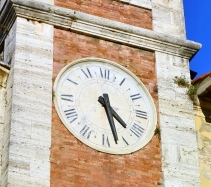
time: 4:27
